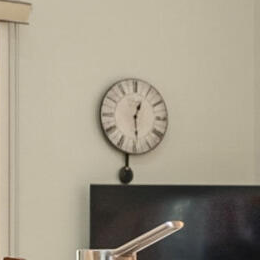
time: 12:28
